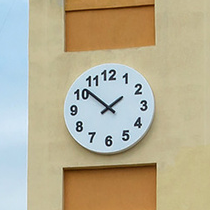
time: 1:51
